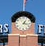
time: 1:16
